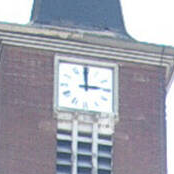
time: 2:59
